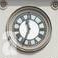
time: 11:33
